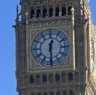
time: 12:29
